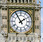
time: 1:54
